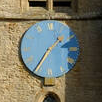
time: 1:35
